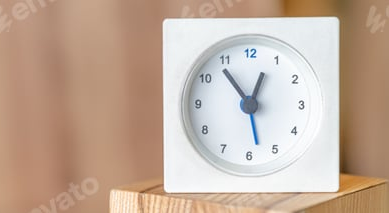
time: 12:53
